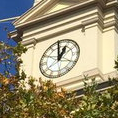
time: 12:59
